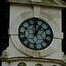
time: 12:05
